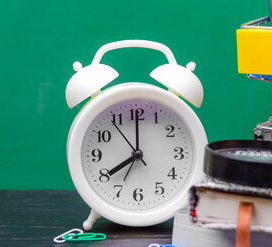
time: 8:00
